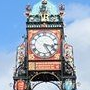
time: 3:24
